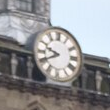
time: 9:40
